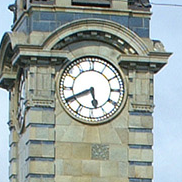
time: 5:40
